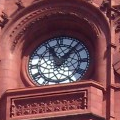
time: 11:07
